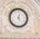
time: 5:03
